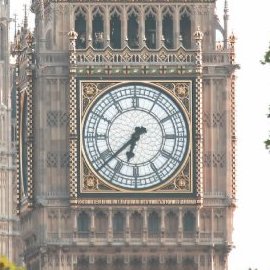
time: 6:38
